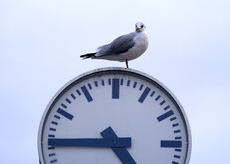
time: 4:45
